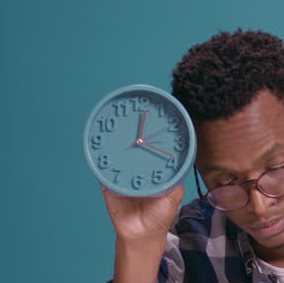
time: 12:18
